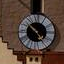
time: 10:24
